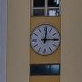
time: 12:14
